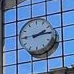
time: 2:14
